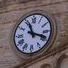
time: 11:18
